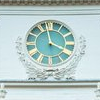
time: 3:58
